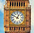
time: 12:49
